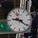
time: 9:21
